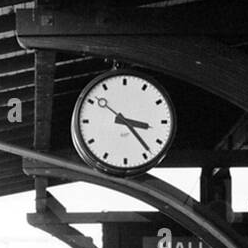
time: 3:23
